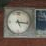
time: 5:15
